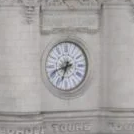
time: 6:41
